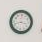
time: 3:41
